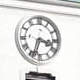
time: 3:33
